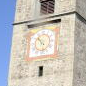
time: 10:28
